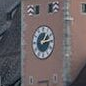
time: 1:13
